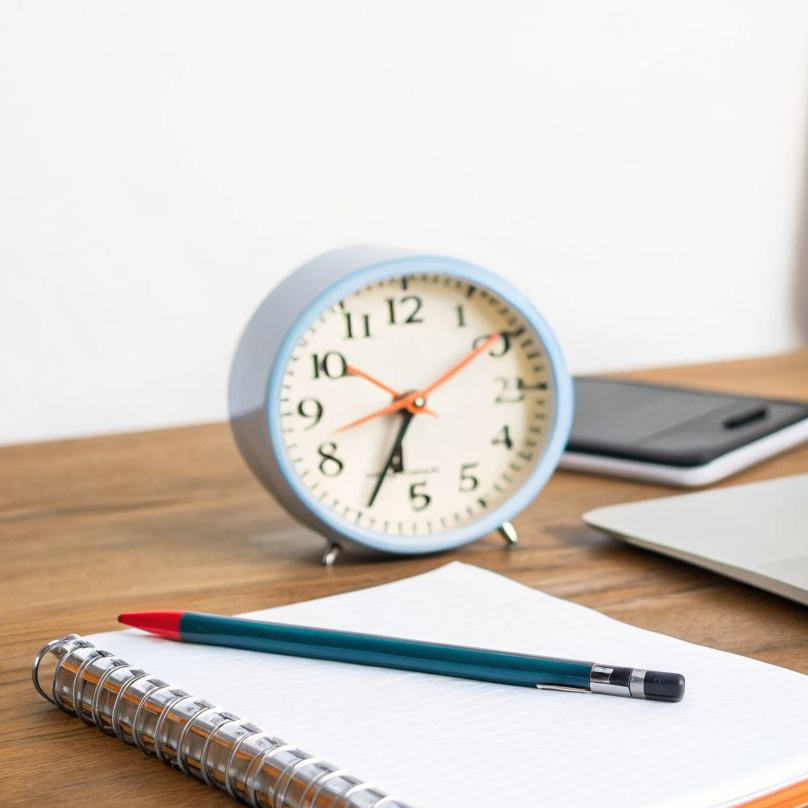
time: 6:34
